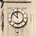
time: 11:52
